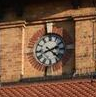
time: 2:21
